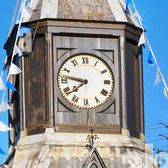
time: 7:46
